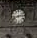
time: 2:42
